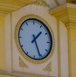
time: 1:26
